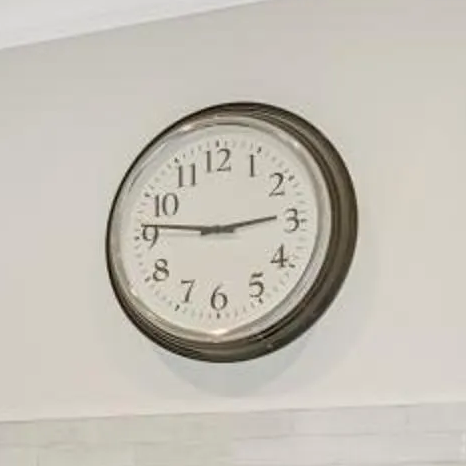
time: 2:46
